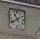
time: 10:40
